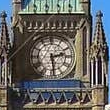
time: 2:29
